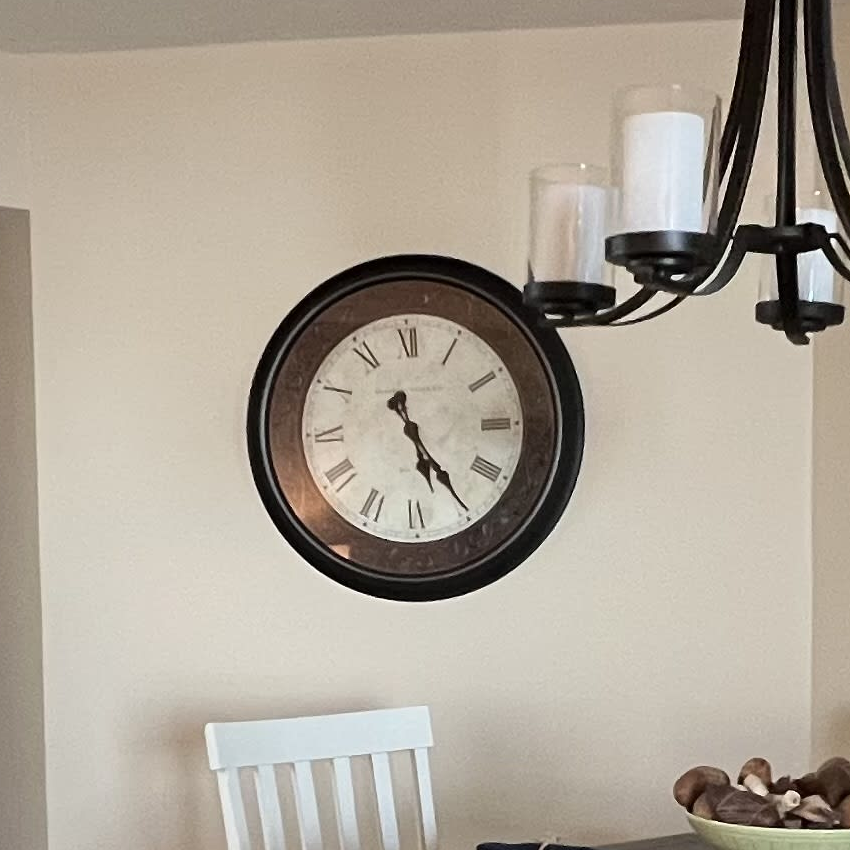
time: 5:24
